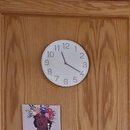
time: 11:19
